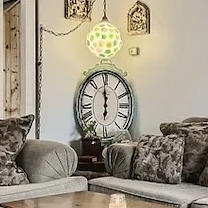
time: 5:59
